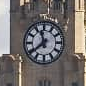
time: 11:38
